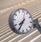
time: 7:34
